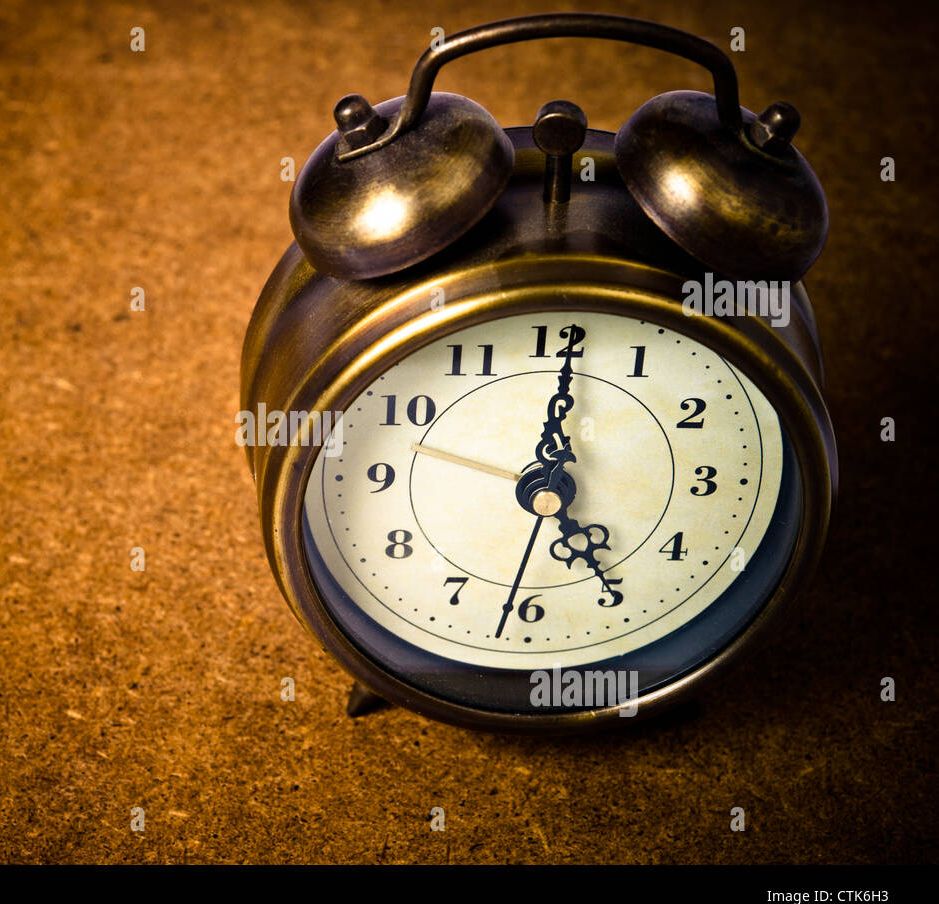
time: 5:00
